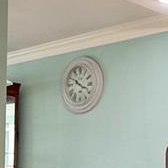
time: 3:50
